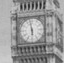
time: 5:58
